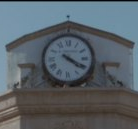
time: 4:19
